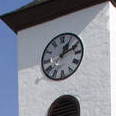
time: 1:11
